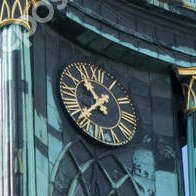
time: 10:37
